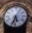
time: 5:33
